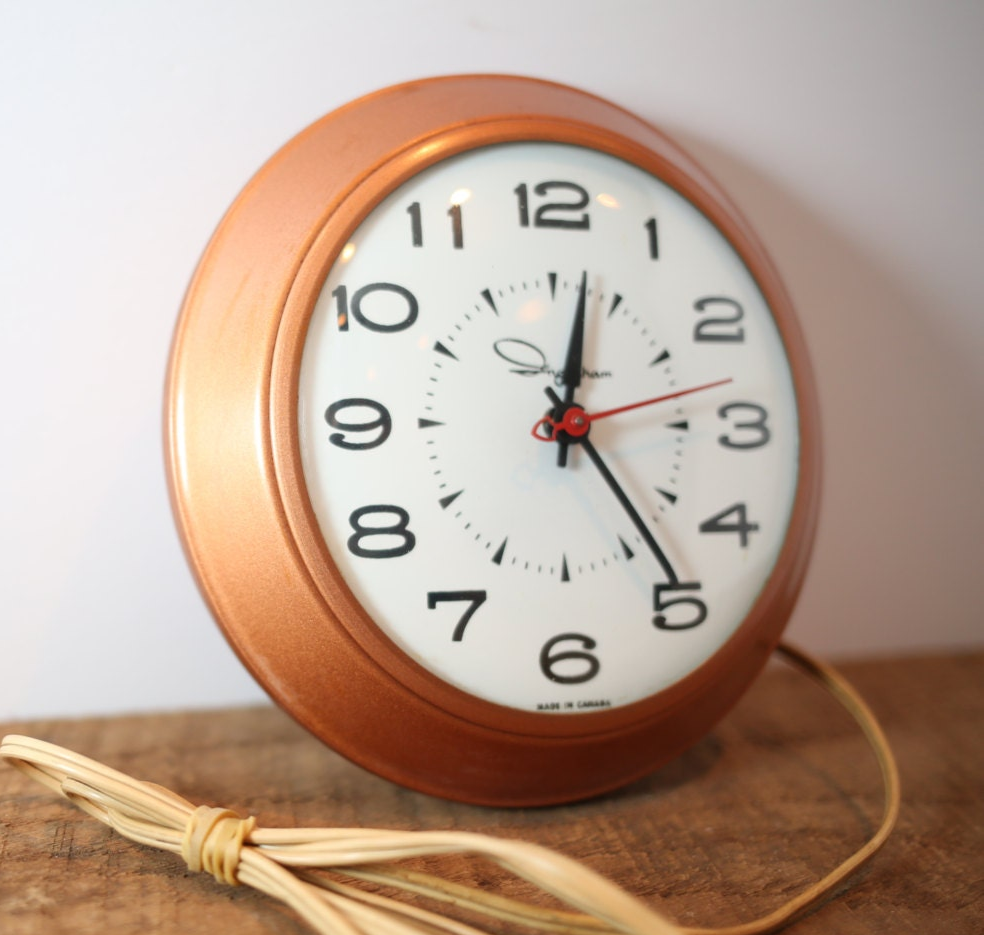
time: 12:24
